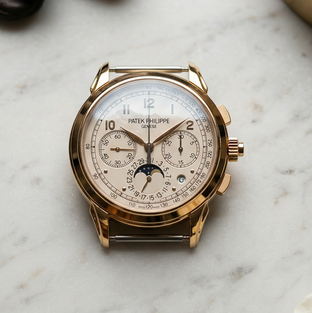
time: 6:08
